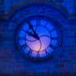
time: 9:54
